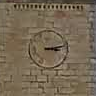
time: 3:12
